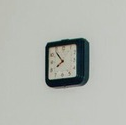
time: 7:53
